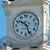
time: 10:26
